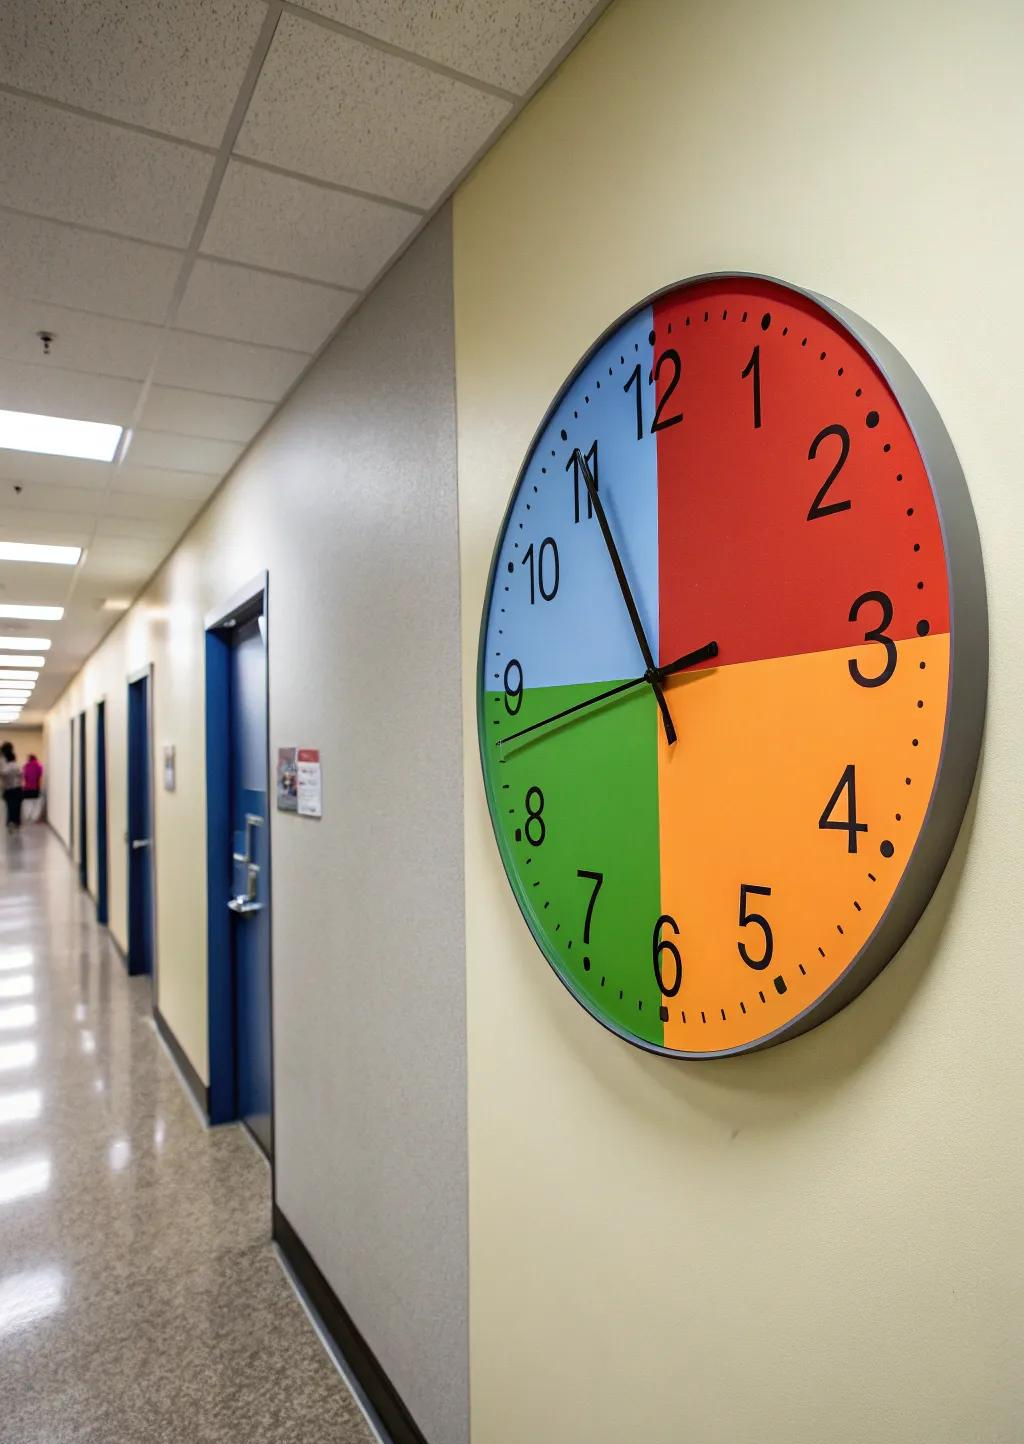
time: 10:55
